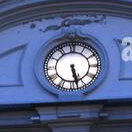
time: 5:27
